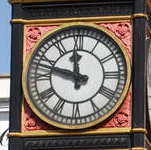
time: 11:47
